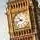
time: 10:42
